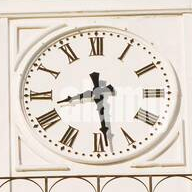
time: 8:28
